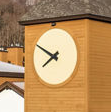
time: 7:49
